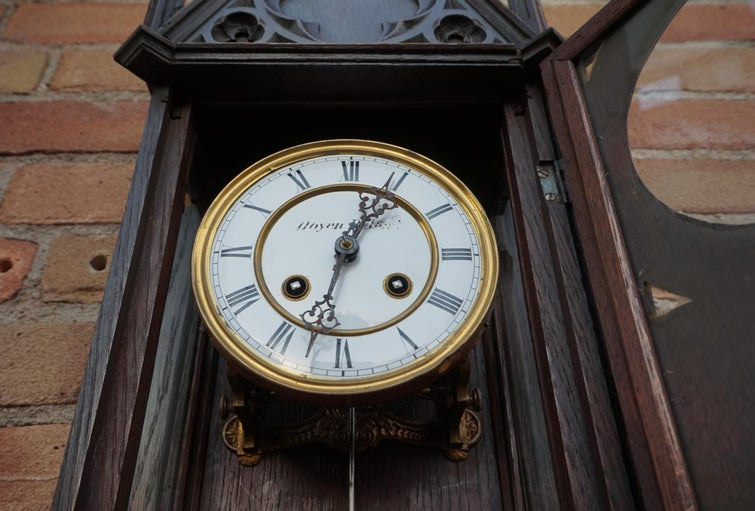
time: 12:32
